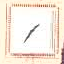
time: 1:36
